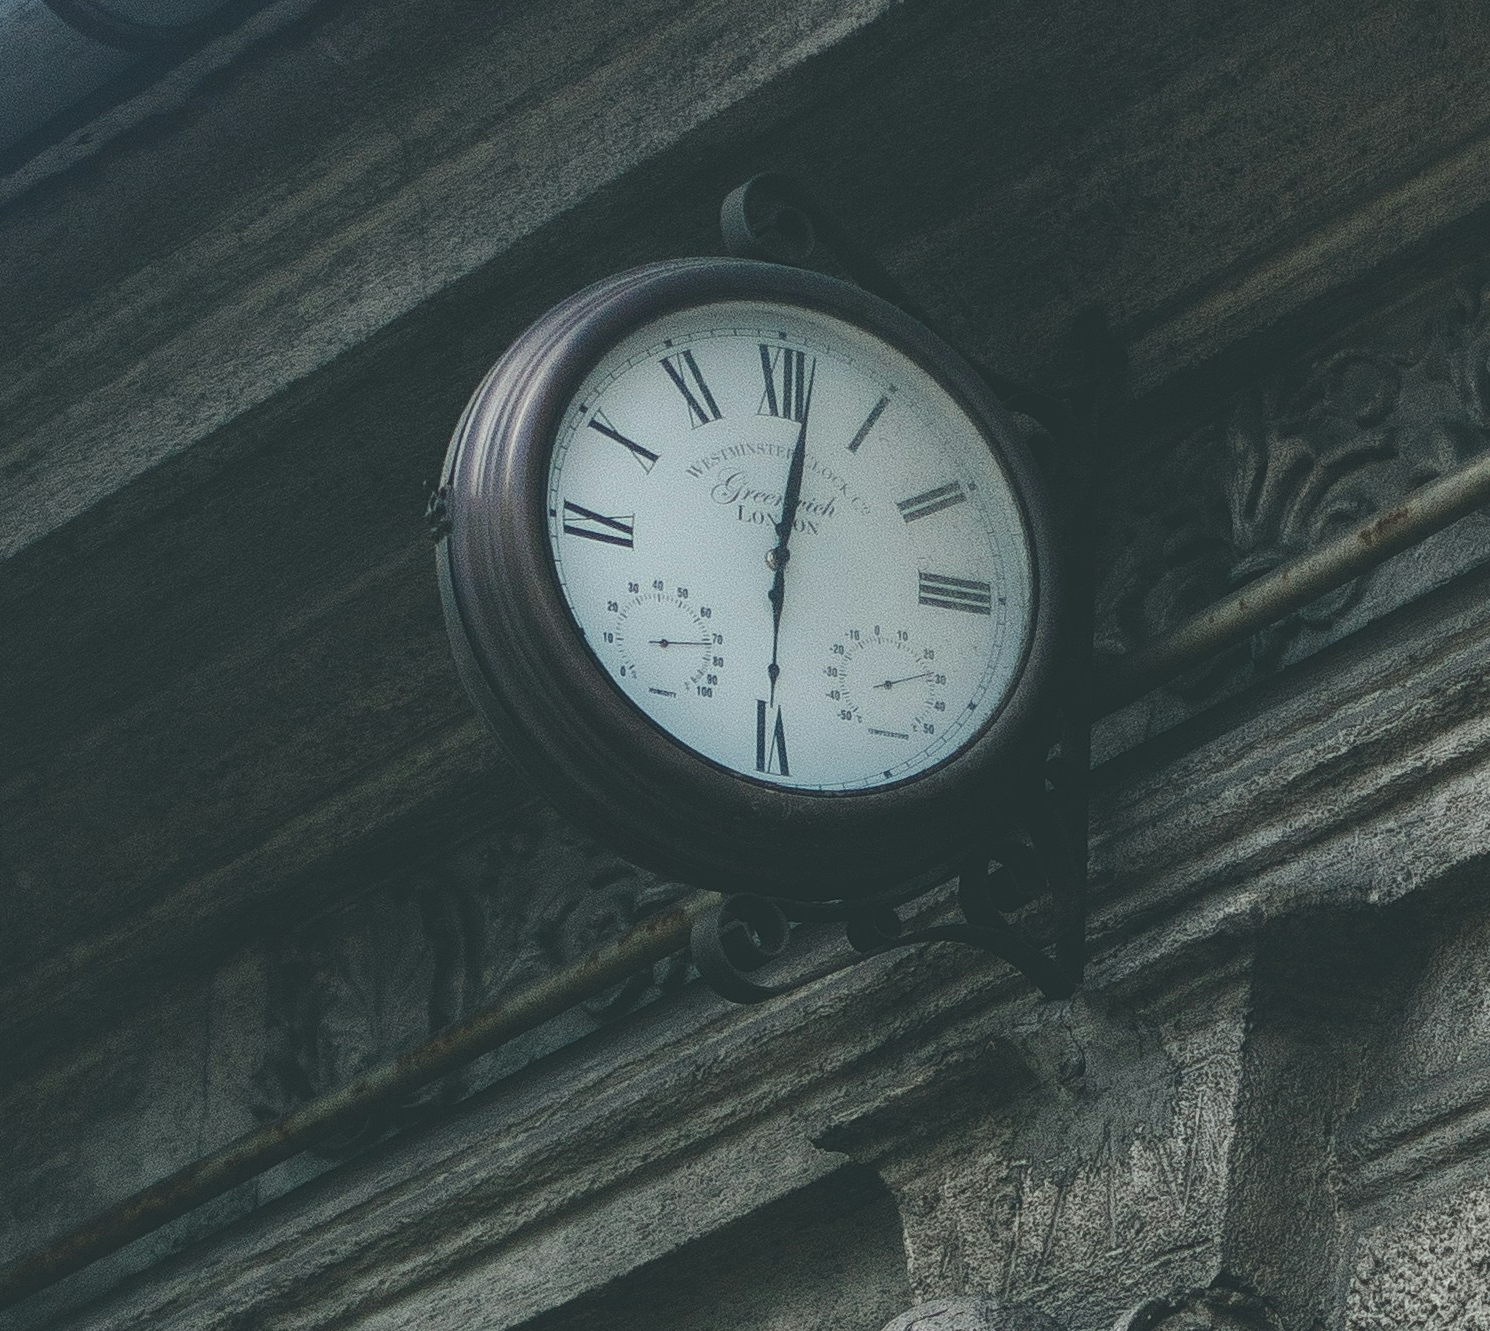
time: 6:01
